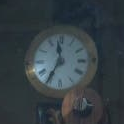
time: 11:35
